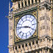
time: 3:46
